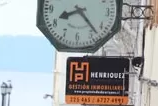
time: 8:23
